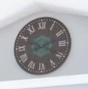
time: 2:19
